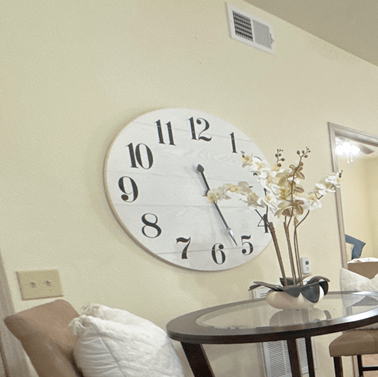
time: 2:26
